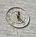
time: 12:23
